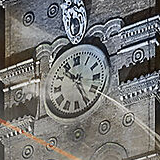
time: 10:25
